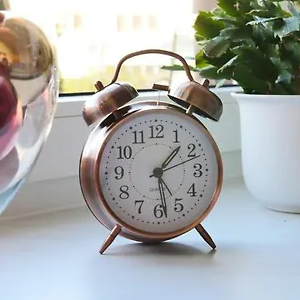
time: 1:28
